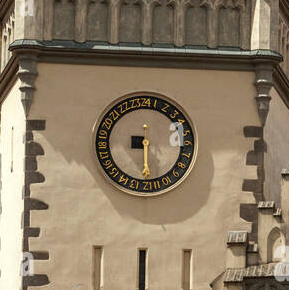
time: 8:29
